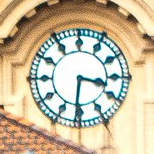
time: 3:30
